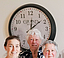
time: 12:08
